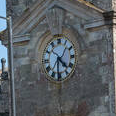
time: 4:31
